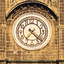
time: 7:22
